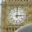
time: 3:00
